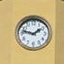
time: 1:47
